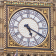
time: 5:19
